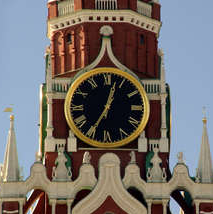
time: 12:34
